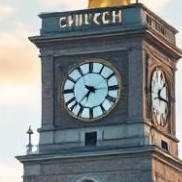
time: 7:15
